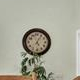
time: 5:05
